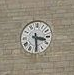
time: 3:29
